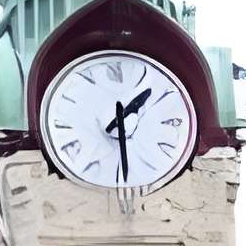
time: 1:29
